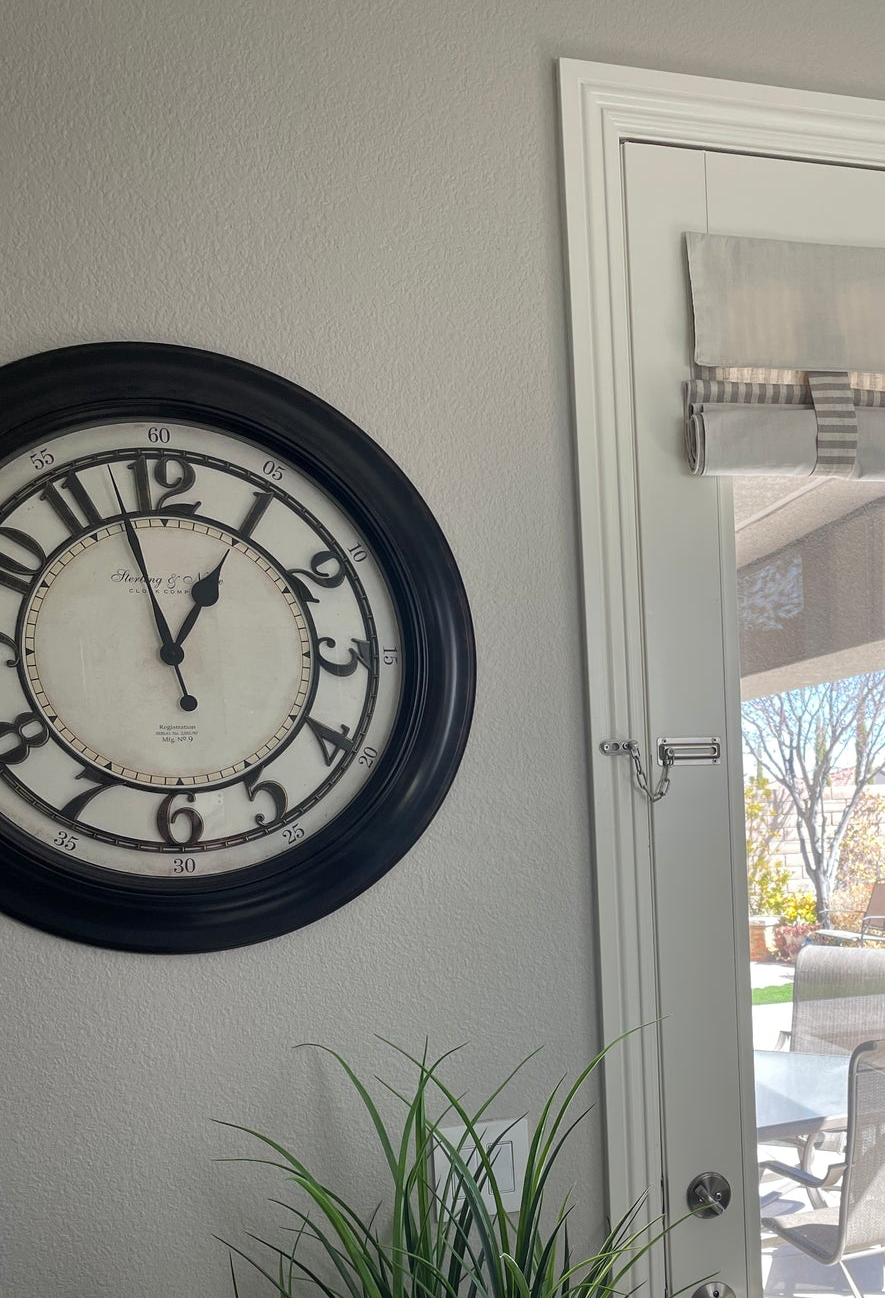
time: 12:57
